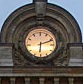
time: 6:11
